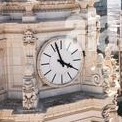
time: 3:57
